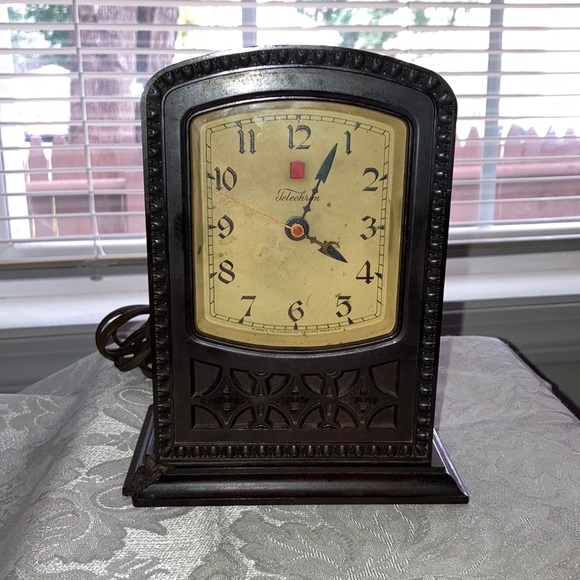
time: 4:04
